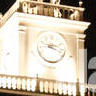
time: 2:18
